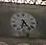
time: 6:24
